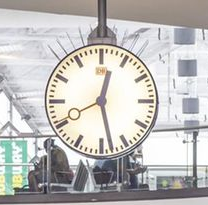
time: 12:28
